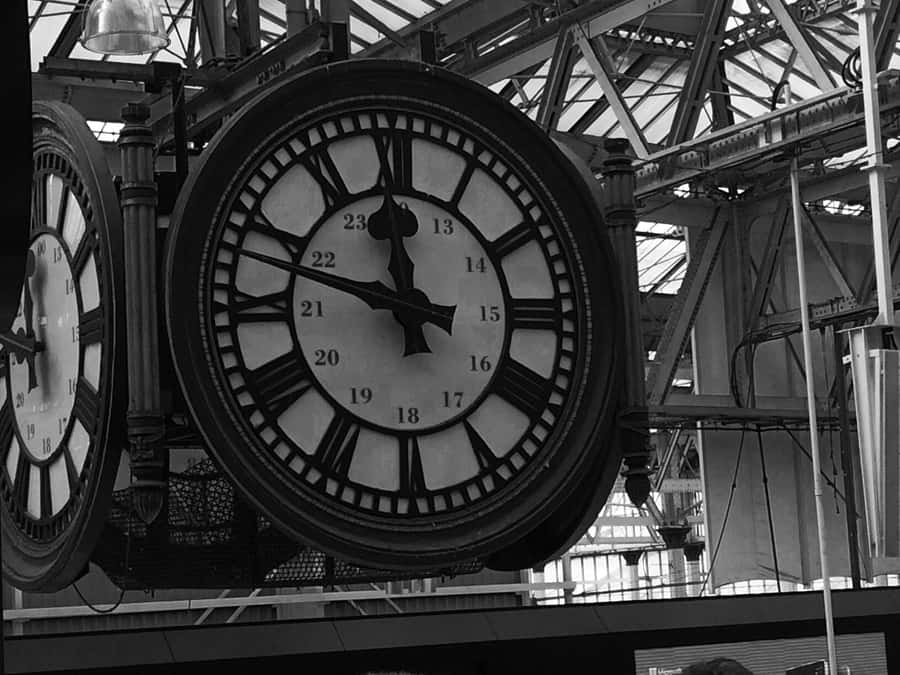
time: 11:47
